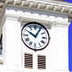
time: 10:04
